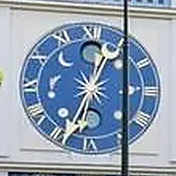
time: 12:33
